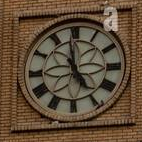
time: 4:58
